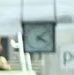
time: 4:08
